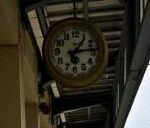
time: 1:13
